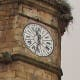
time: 11:32
